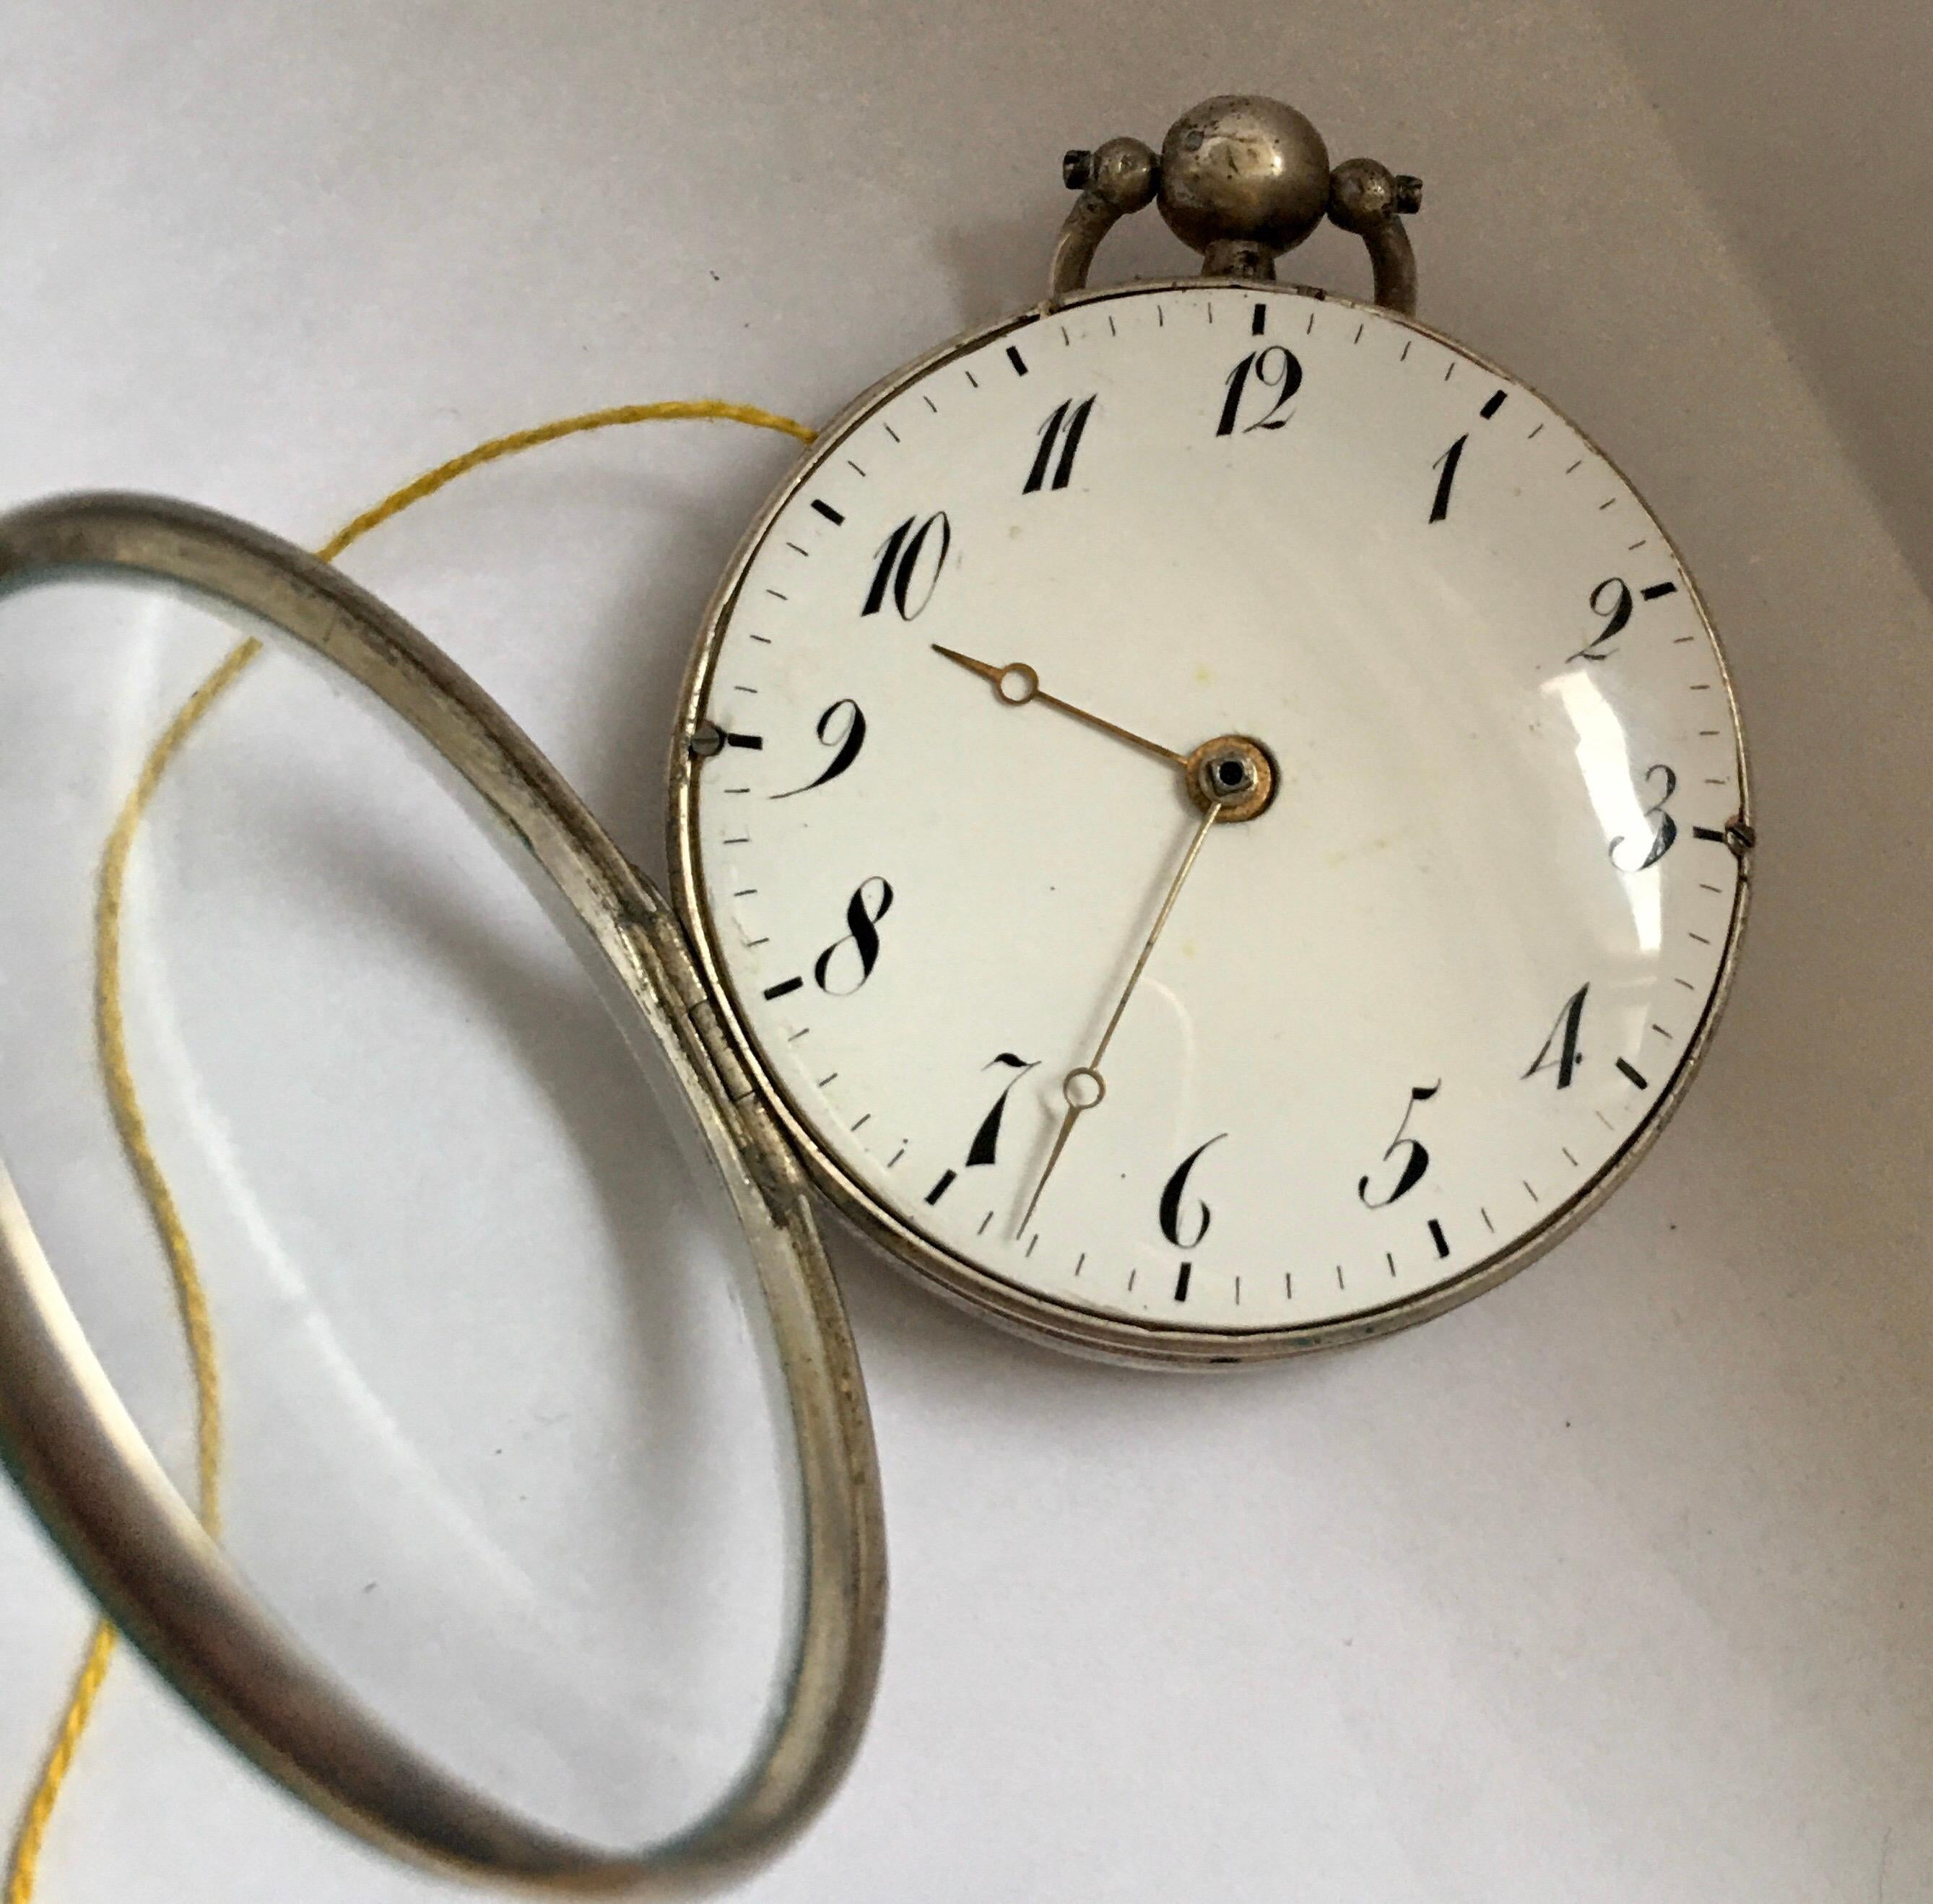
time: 9:33
